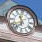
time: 11:37
